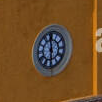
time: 5:59
